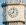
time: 8:01
